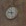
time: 9:27
